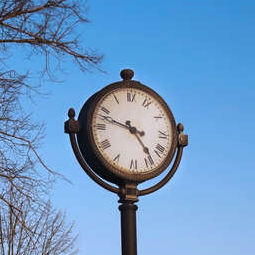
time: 4:47
